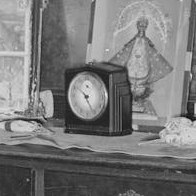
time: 10:25
